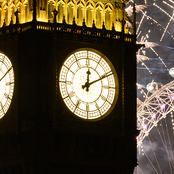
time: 12:10
